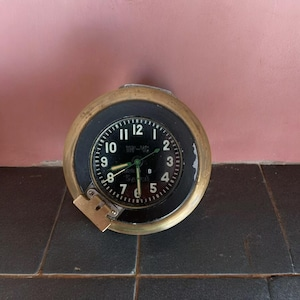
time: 8:29
